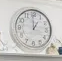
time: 12:59
